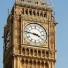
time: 3:46
